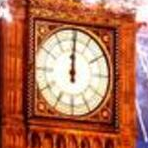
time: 12:00
